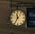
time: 11:35
